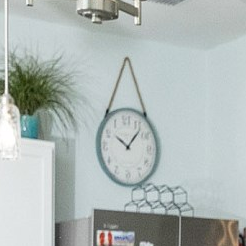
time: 10:07
